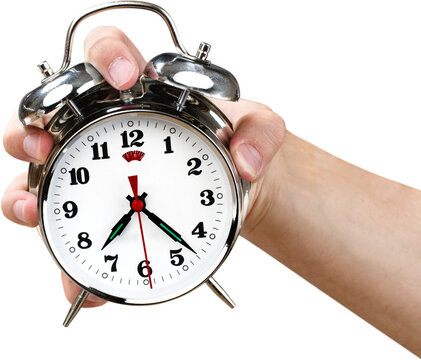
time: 7:22
